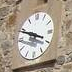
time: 3:48
